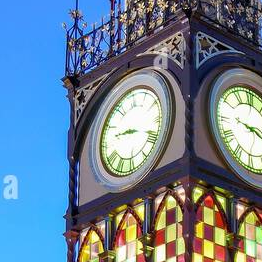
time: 9:18
